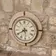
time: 5:40
